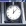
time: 12:07
